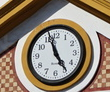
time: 4:56
